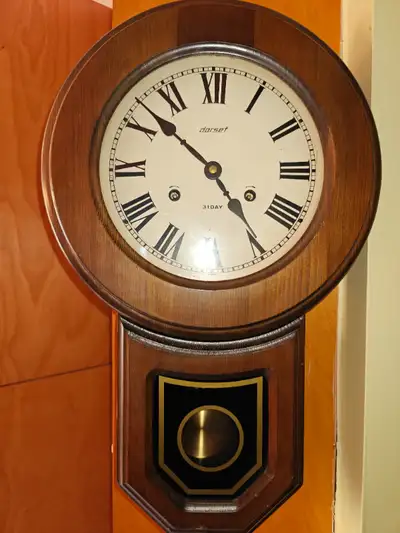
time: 4:52
